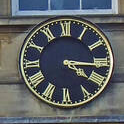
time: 4:15
